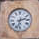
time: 2:32
